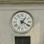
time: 1:20
